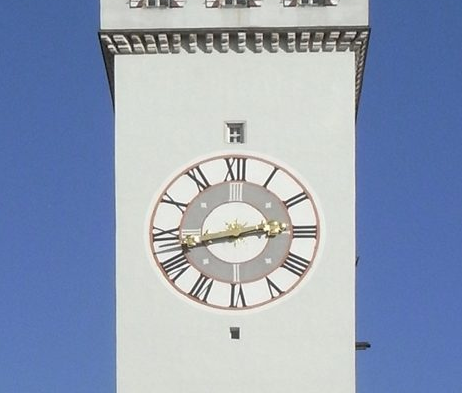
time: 2:42
